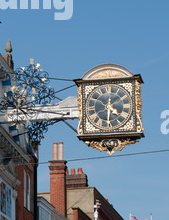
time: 4:30
